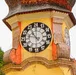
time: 10:47
